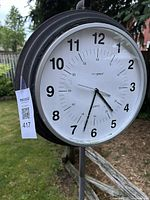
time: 4:32
